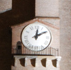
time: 12:09
